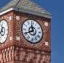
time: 11:40
